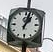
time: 1:02
